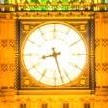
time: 8:27
